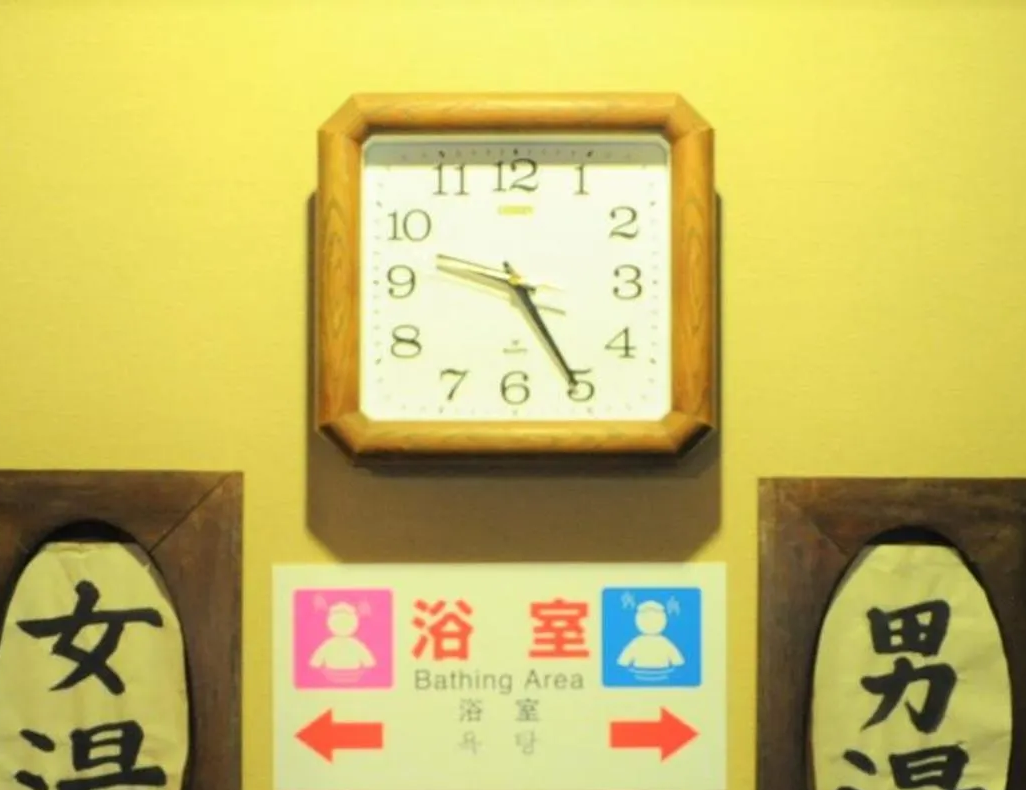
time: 9:25
